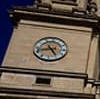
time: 8:25
